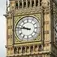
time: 9:46
